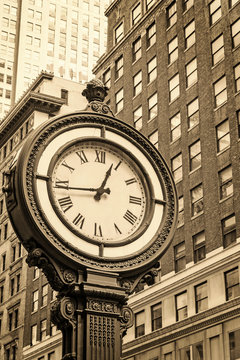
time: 12:44
